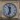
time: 11:32
